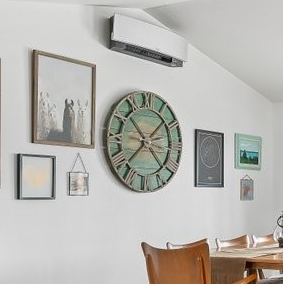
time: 10:37
